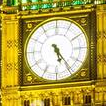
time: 5:24
